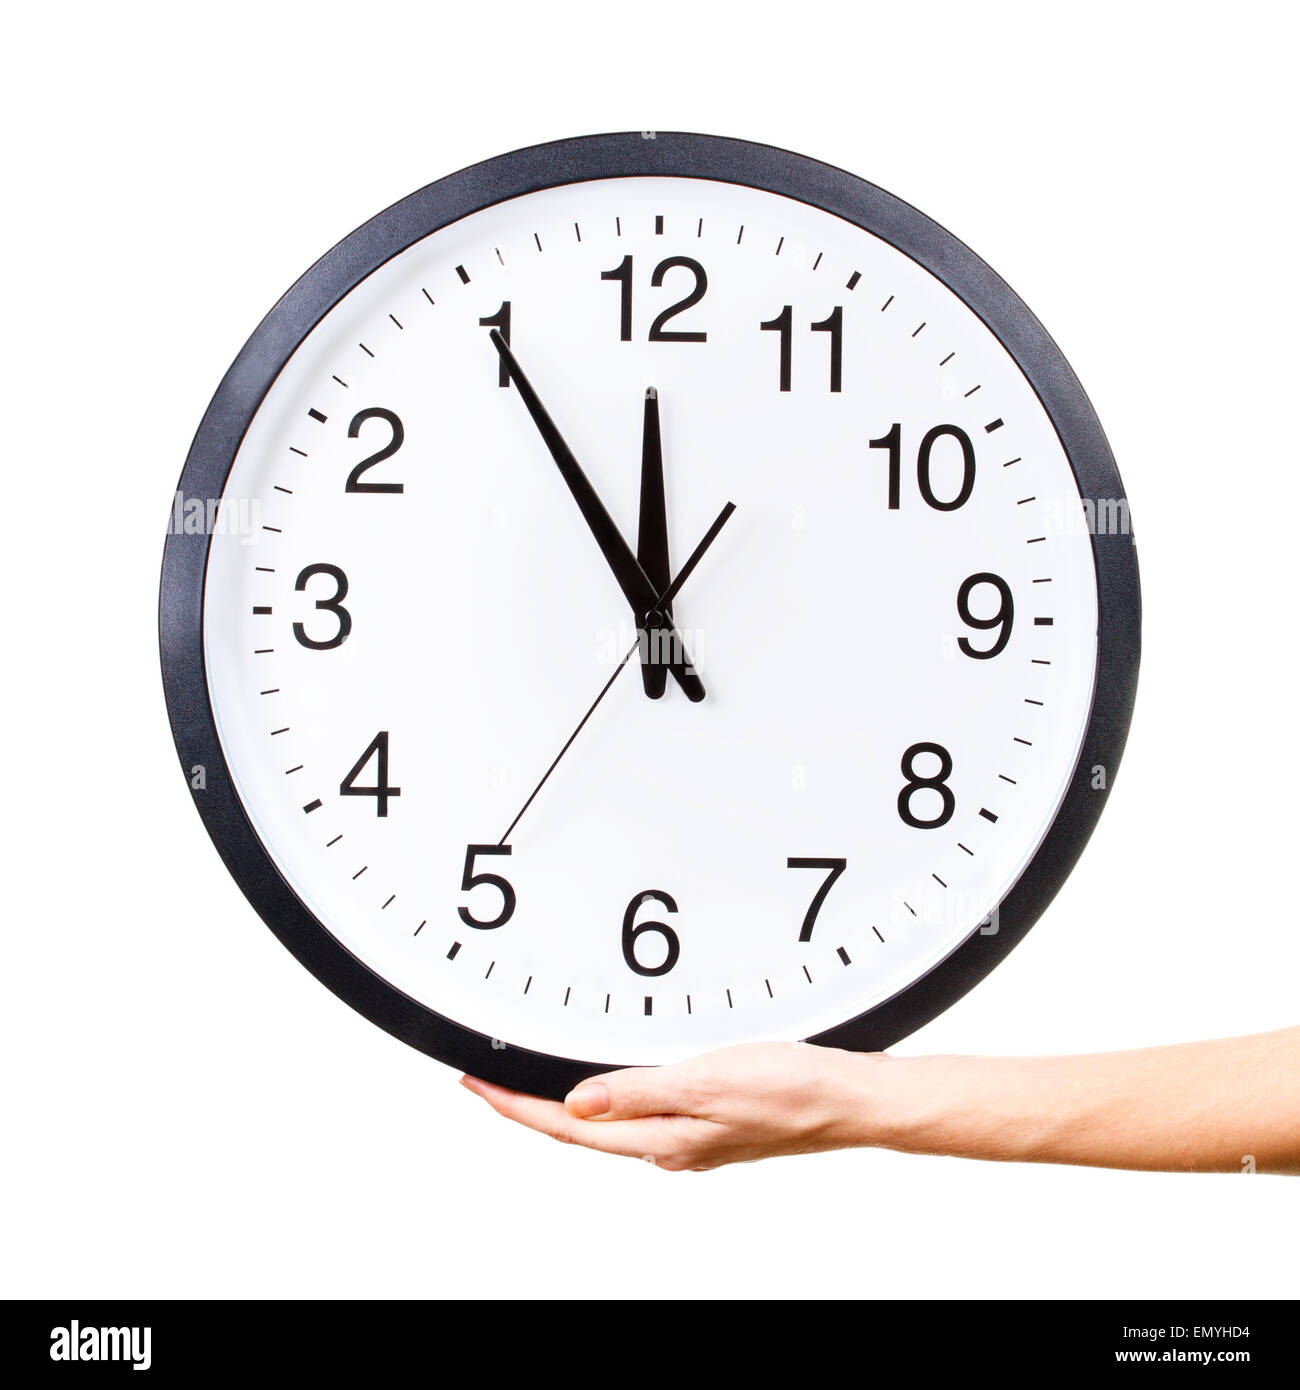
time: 11:54
